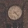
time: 4:22
